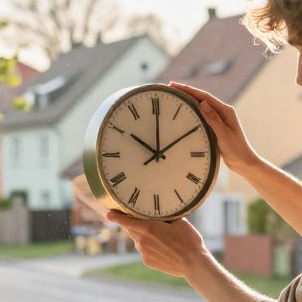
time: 10:00
